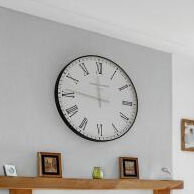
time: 11:46
